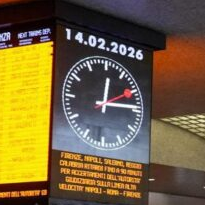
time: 12:14
